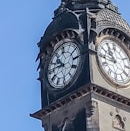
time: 10:45
